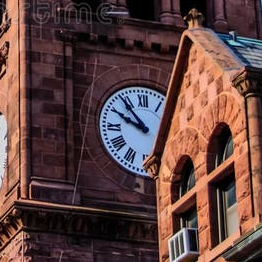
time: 9:53
